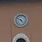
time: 4:50
